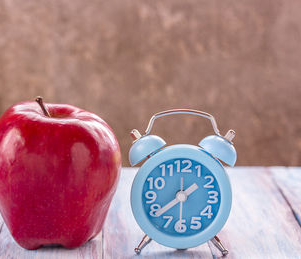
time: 1:38
